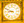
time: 8:49
